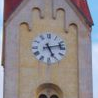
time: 5:12
